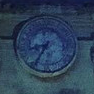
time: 8:35
